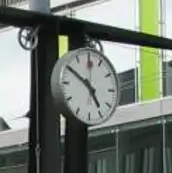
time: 4:50
